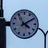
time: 4:09
